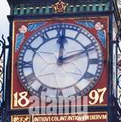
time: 12:11
